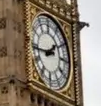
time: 1:43
